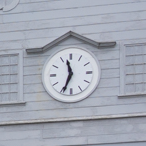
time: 11:33
